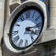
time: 3:20
